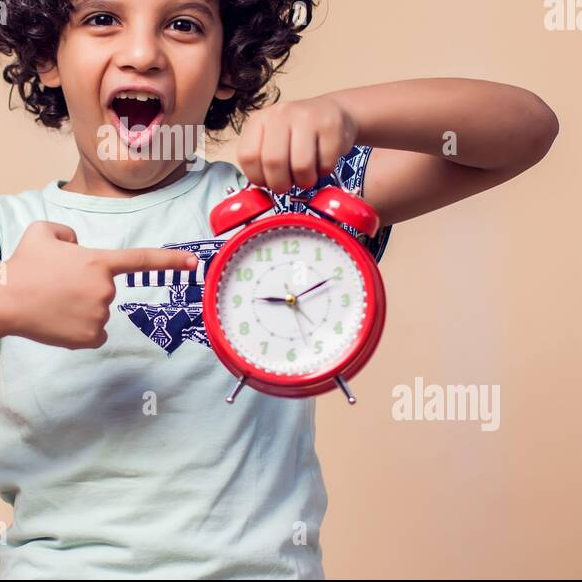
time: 9:10
